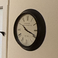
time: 10:18
